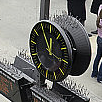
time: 11:55
